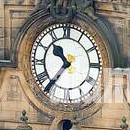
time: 10:36
